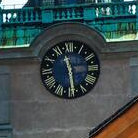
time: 11:29
